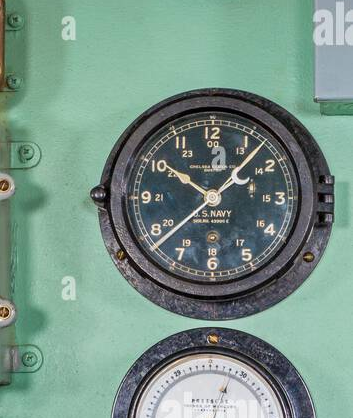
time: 10:07
